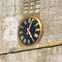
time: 12:24
